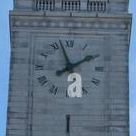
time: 1:57
